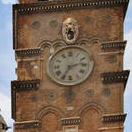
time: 2:35
